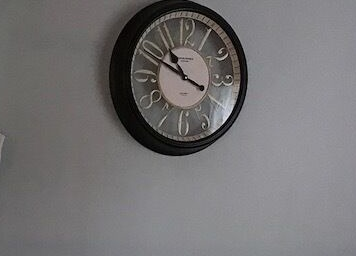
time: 10:49
